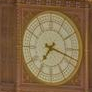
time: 7:18
